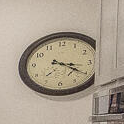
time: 3:20
